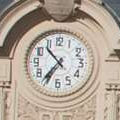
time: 10:36
